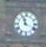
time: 11:18
